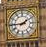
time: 1:44
